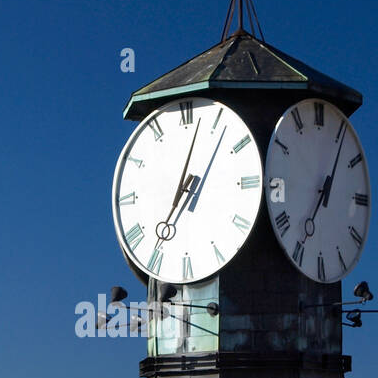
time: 7:02
